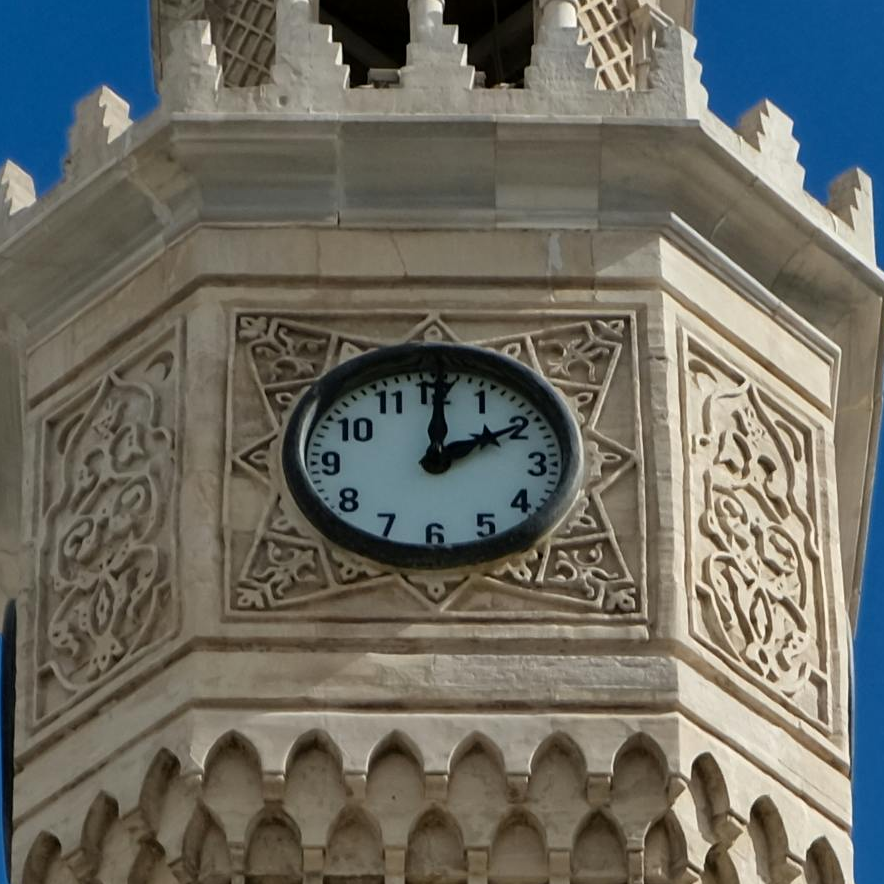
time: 2:00
